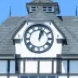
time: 1:02
